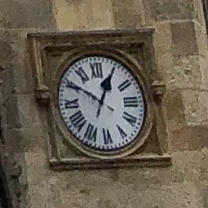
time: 12:50
